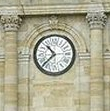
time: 10:37
